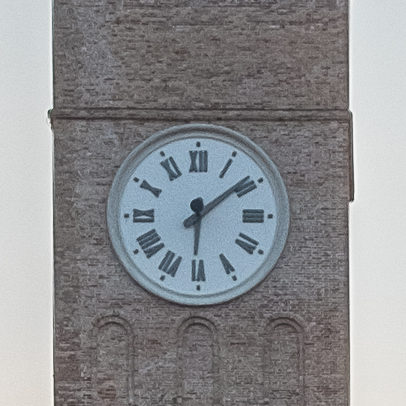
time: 6:08
